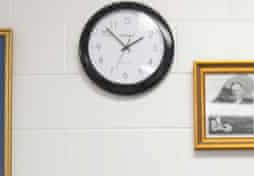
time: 1:52
